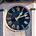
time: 1:12
